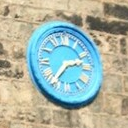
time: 2:36
